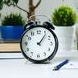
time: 1:06
